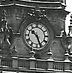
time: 10:26
